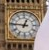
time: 12:46
